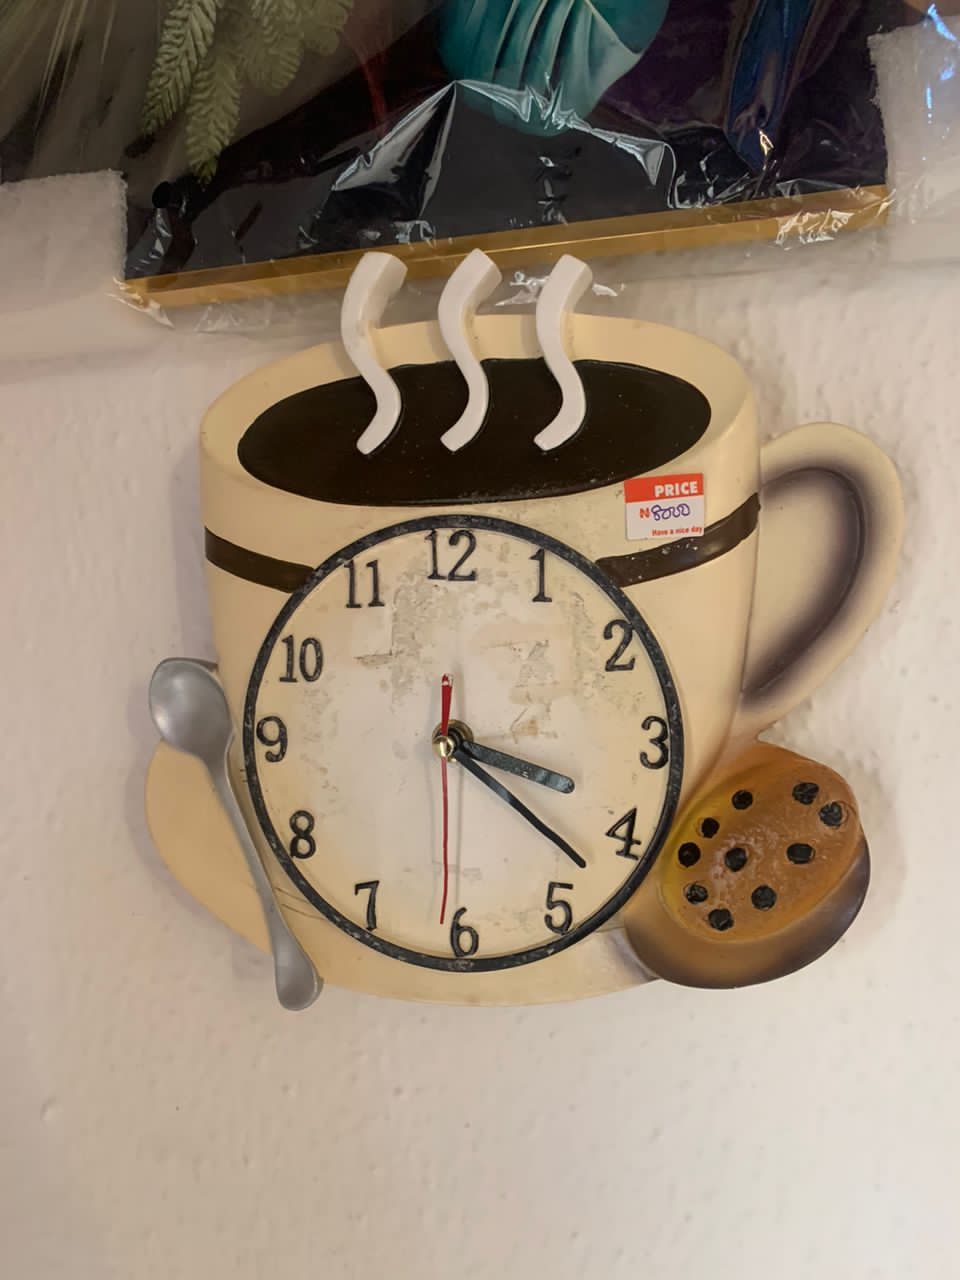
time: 3:22
